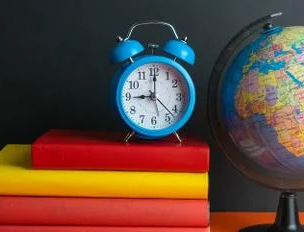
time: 9:00
